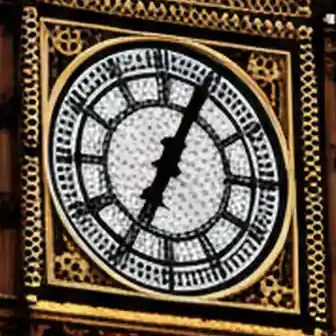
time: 7:04
